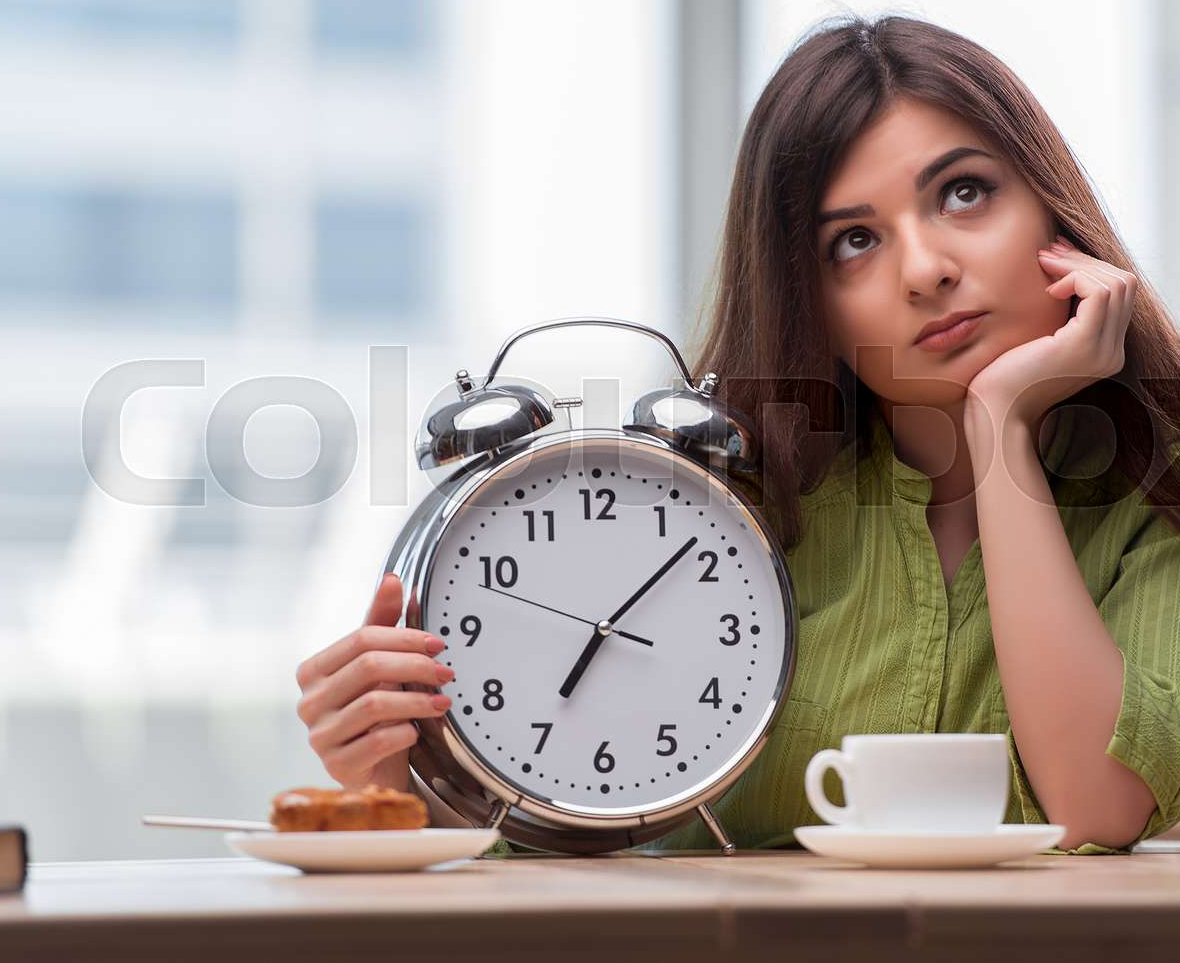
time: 7:08
